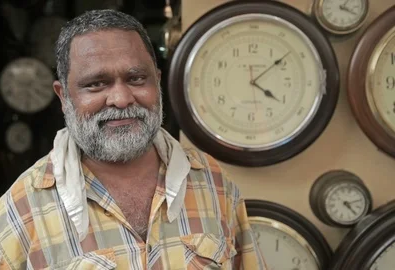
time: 4:08
